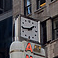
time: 1:43
